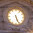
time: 5:26
